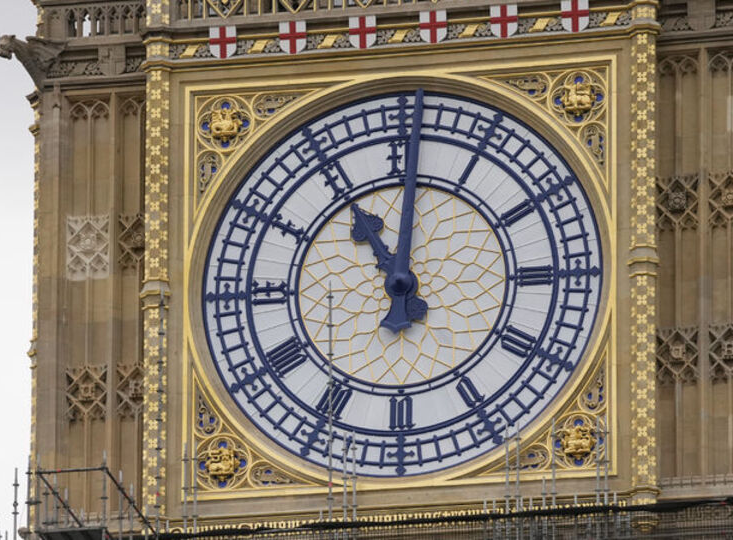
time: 11:00
